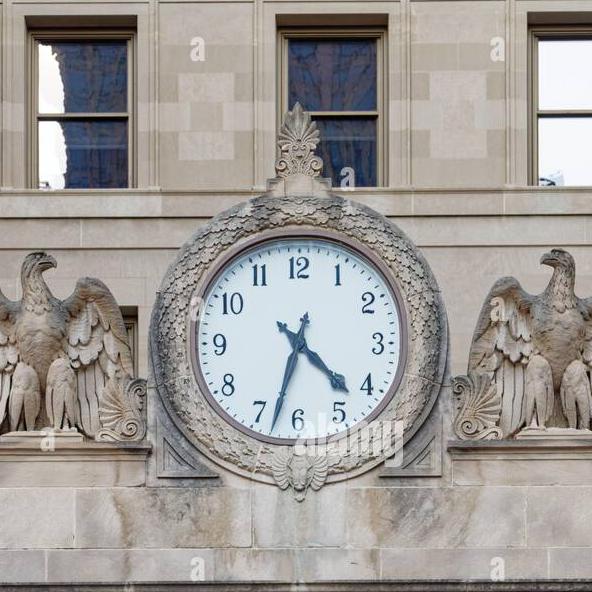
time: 4:32
